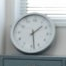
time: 1:28
